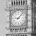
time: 9:07
